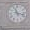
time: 11:17
